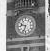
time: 9:33
